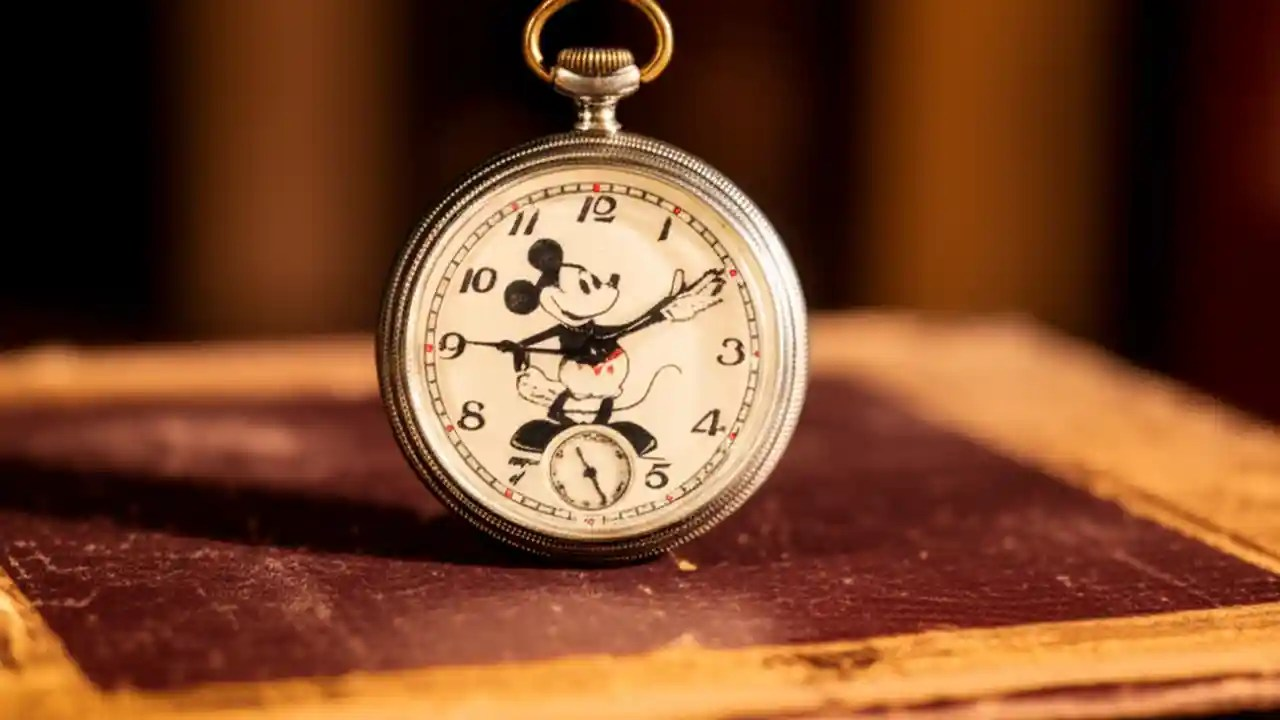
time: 7:09
